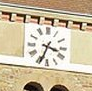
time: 3:33
